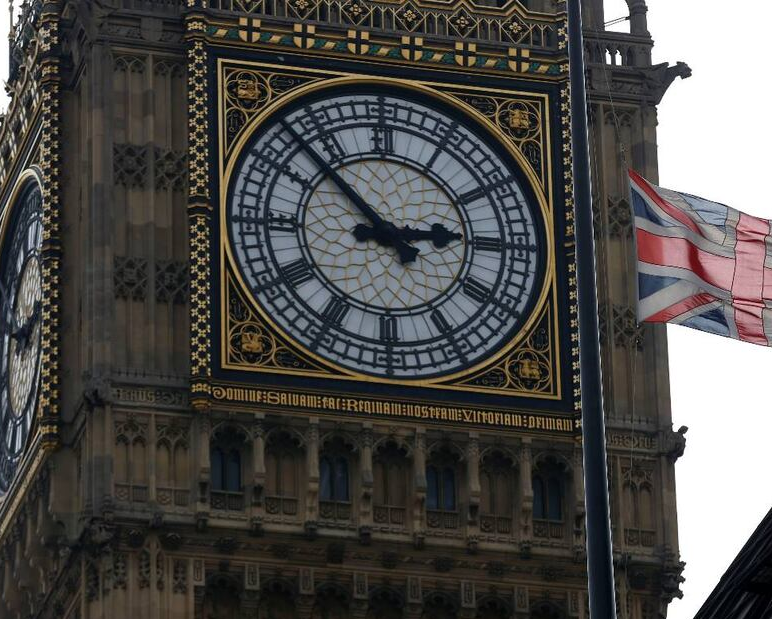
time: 2:52
